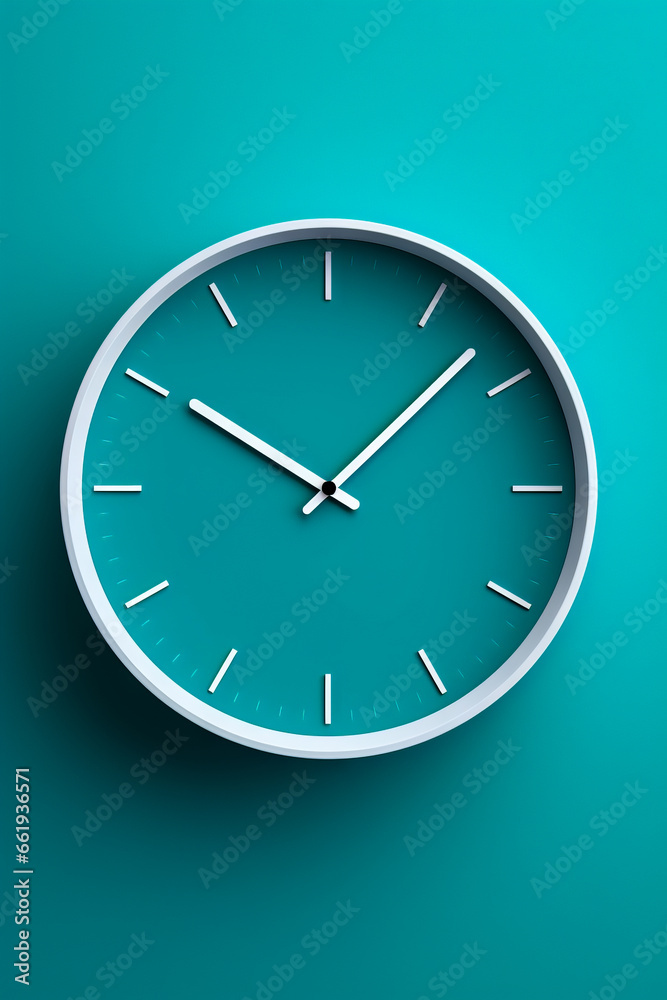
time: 10:07
